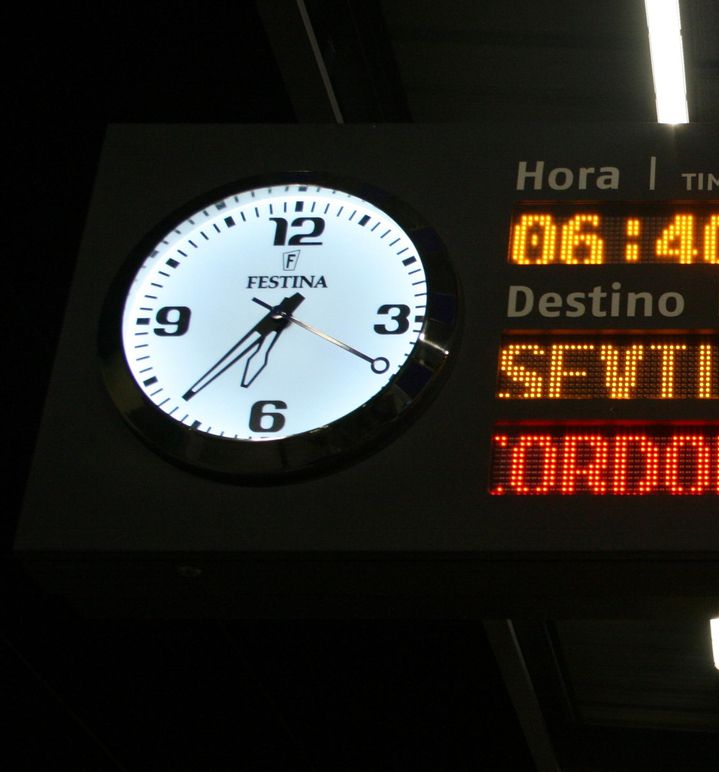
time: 6:36
